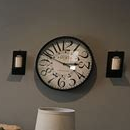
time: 2:48
